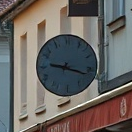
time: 9:17
